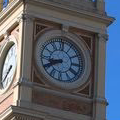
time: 8:40
